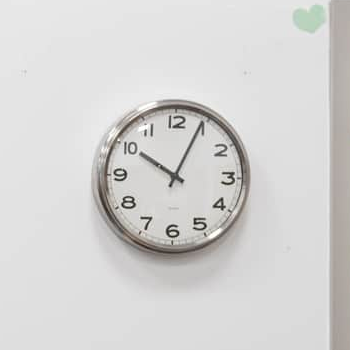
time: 10:04
